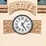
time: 5:06
